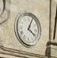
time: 4:04
